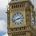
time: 2:42
